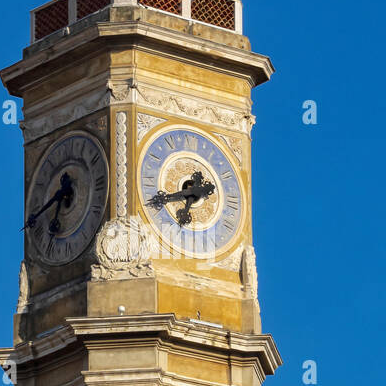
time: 6:41
